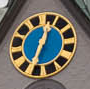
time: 12:32
